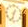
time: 12:32
